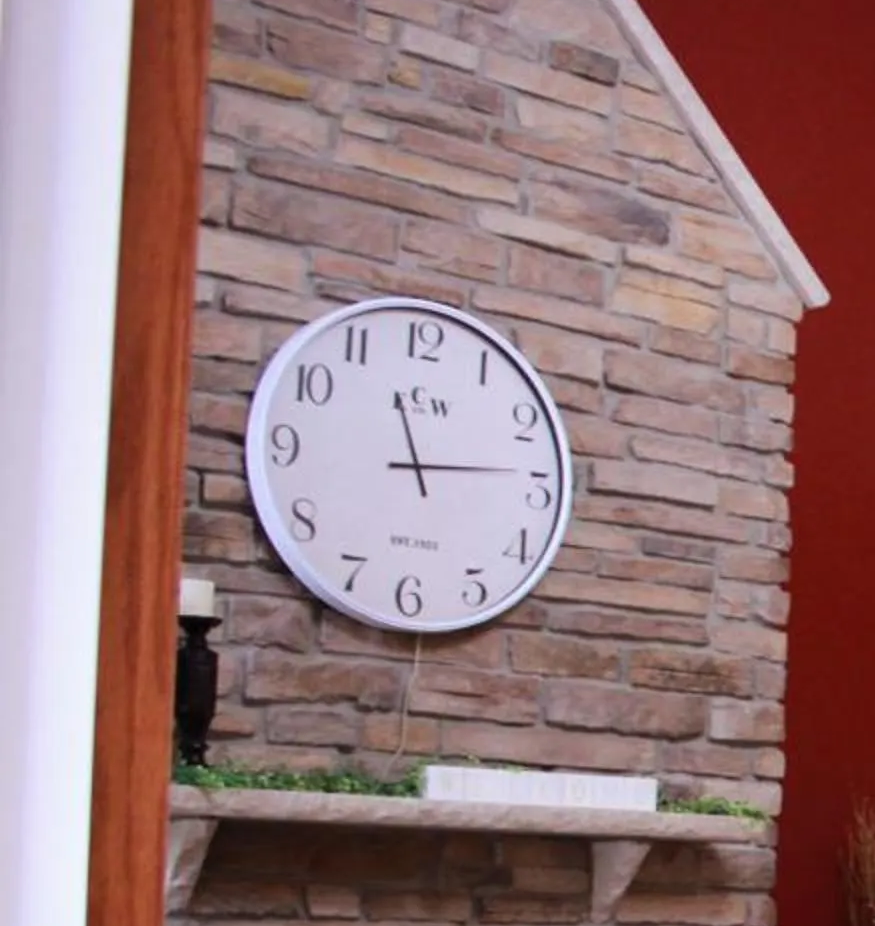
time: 11:13
